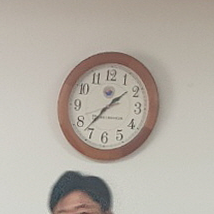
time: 1:36
